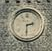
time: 2:30
